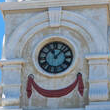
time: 11:07
